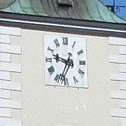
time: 9:34
